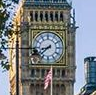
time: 8:38
